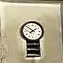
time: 1:51
